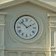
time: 1:52
